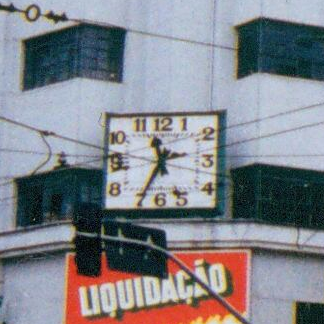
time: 11:34
